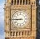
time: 8:45
